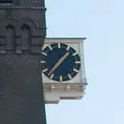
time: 1:36
